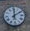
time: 12:09
